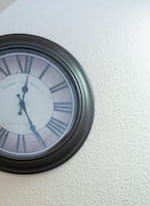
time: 5:01
